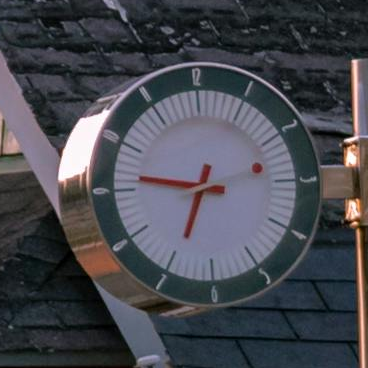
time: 6:46
